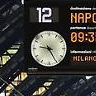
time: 9:25
